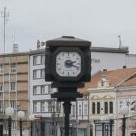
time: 2:18
